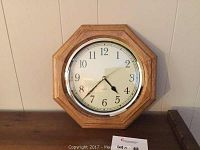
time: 4:37
